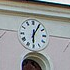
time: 6:05
